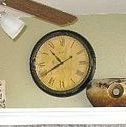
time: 10:39
